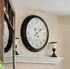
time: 11:09
